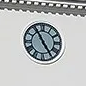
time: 4:54
